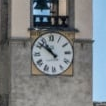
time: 10:51
